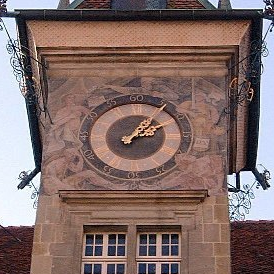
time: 2:06
